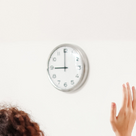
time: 8:59
